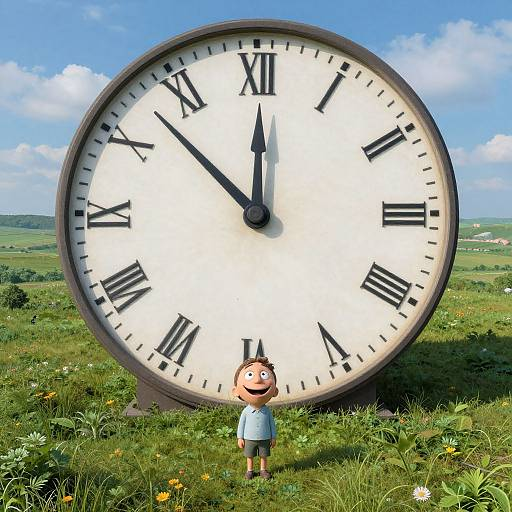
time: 11:52
